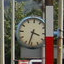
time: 3:32
